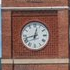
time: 12:42
